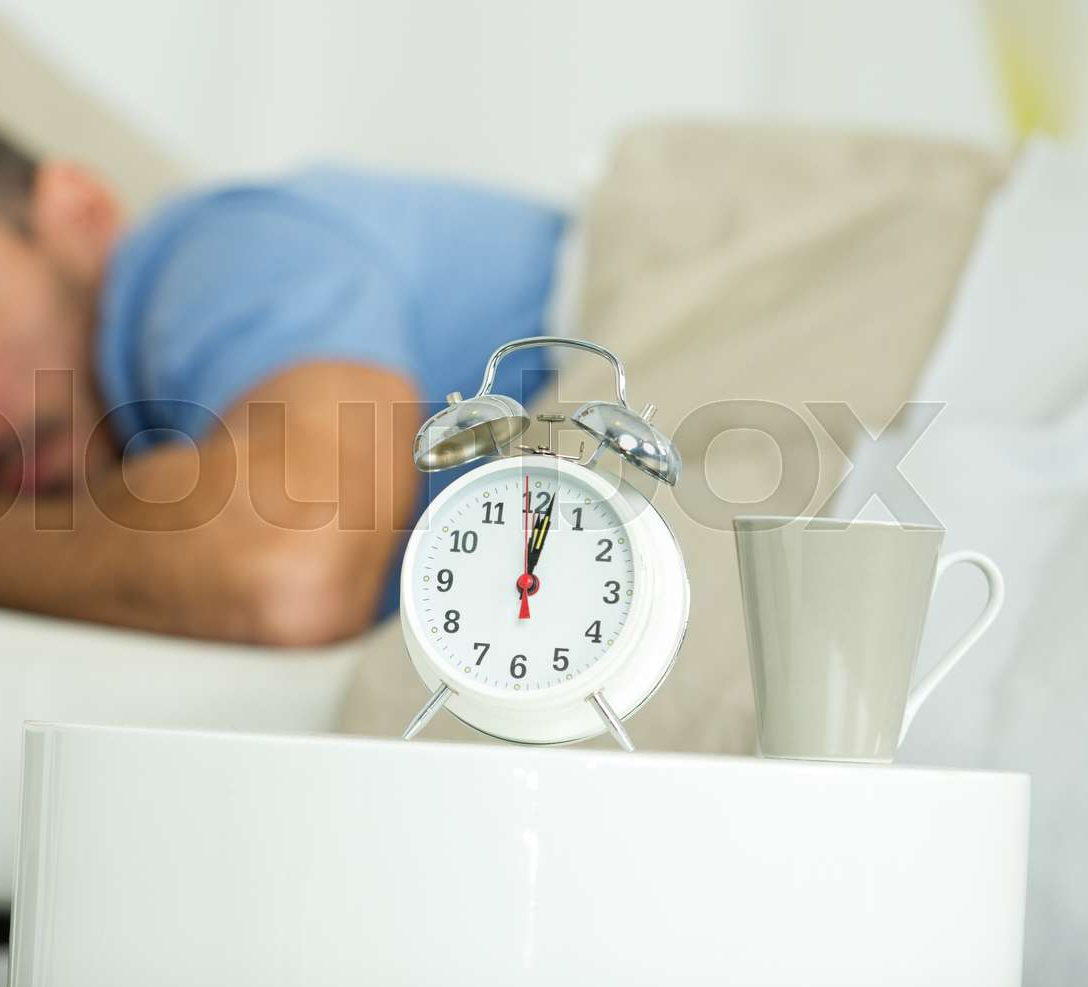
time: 12:01
